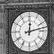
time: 12:12
